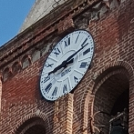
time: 9:12
